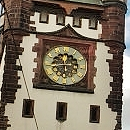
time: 11:43
